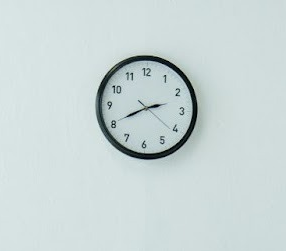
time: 2:40
